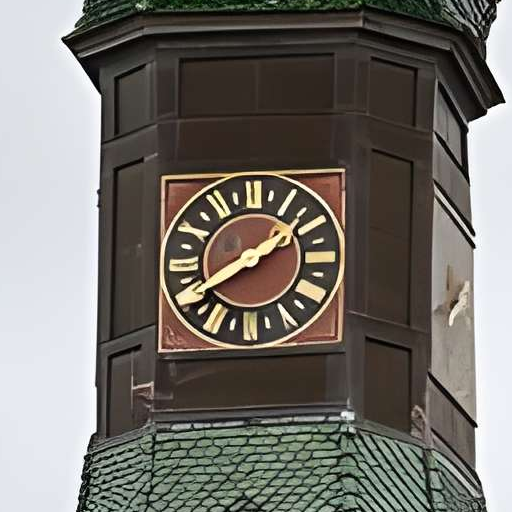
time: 1:39
